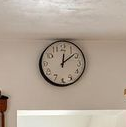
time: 12:08
